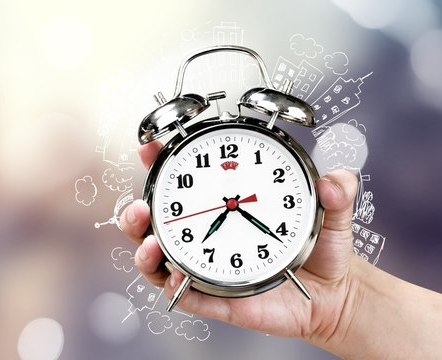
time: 7:21
